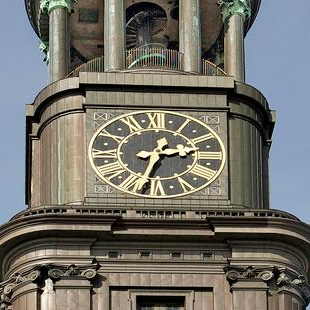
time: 2:32
